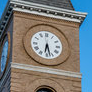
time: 6:27
